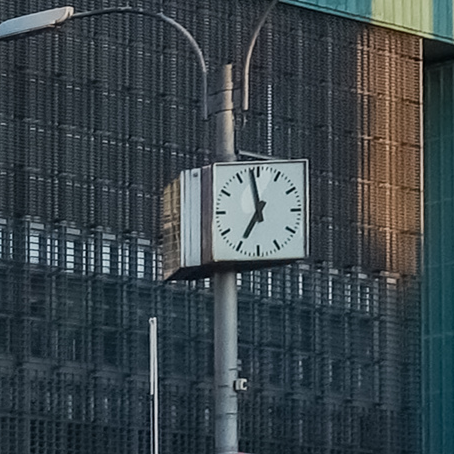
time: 6:58
